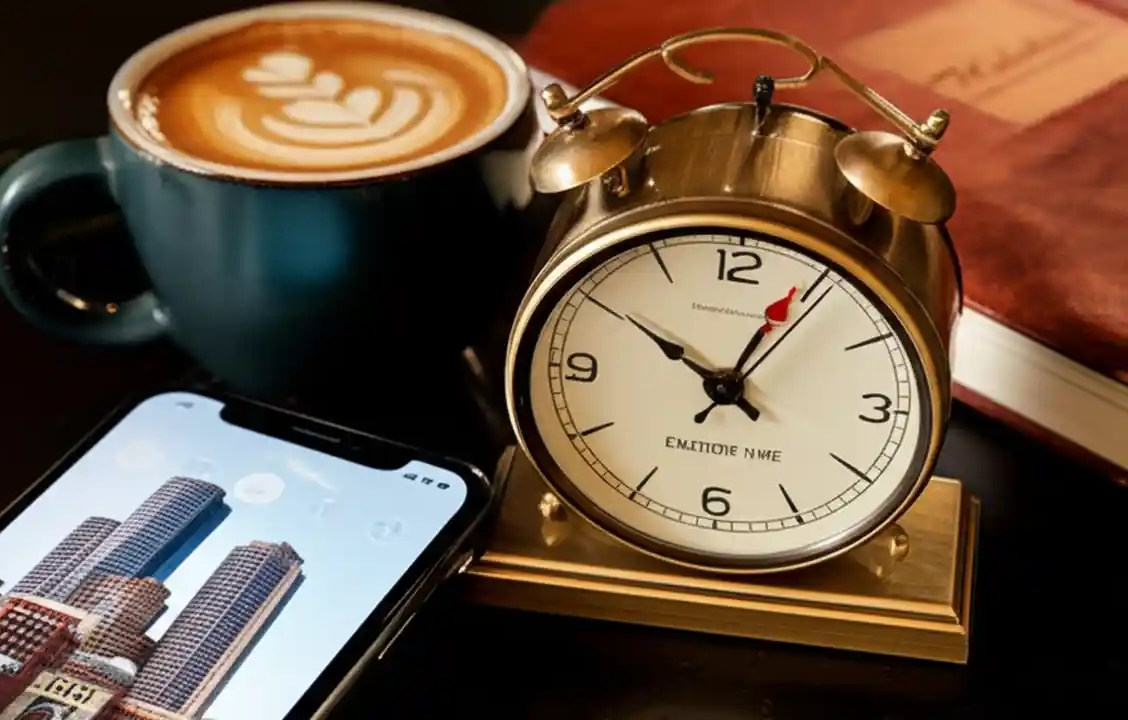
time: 10:04
